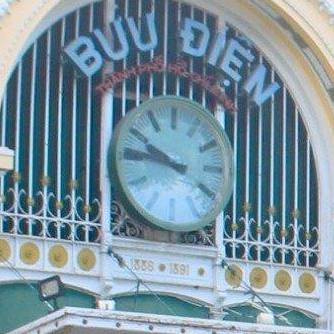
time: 9:45
